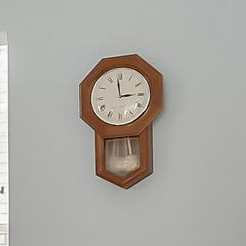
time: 2:58
